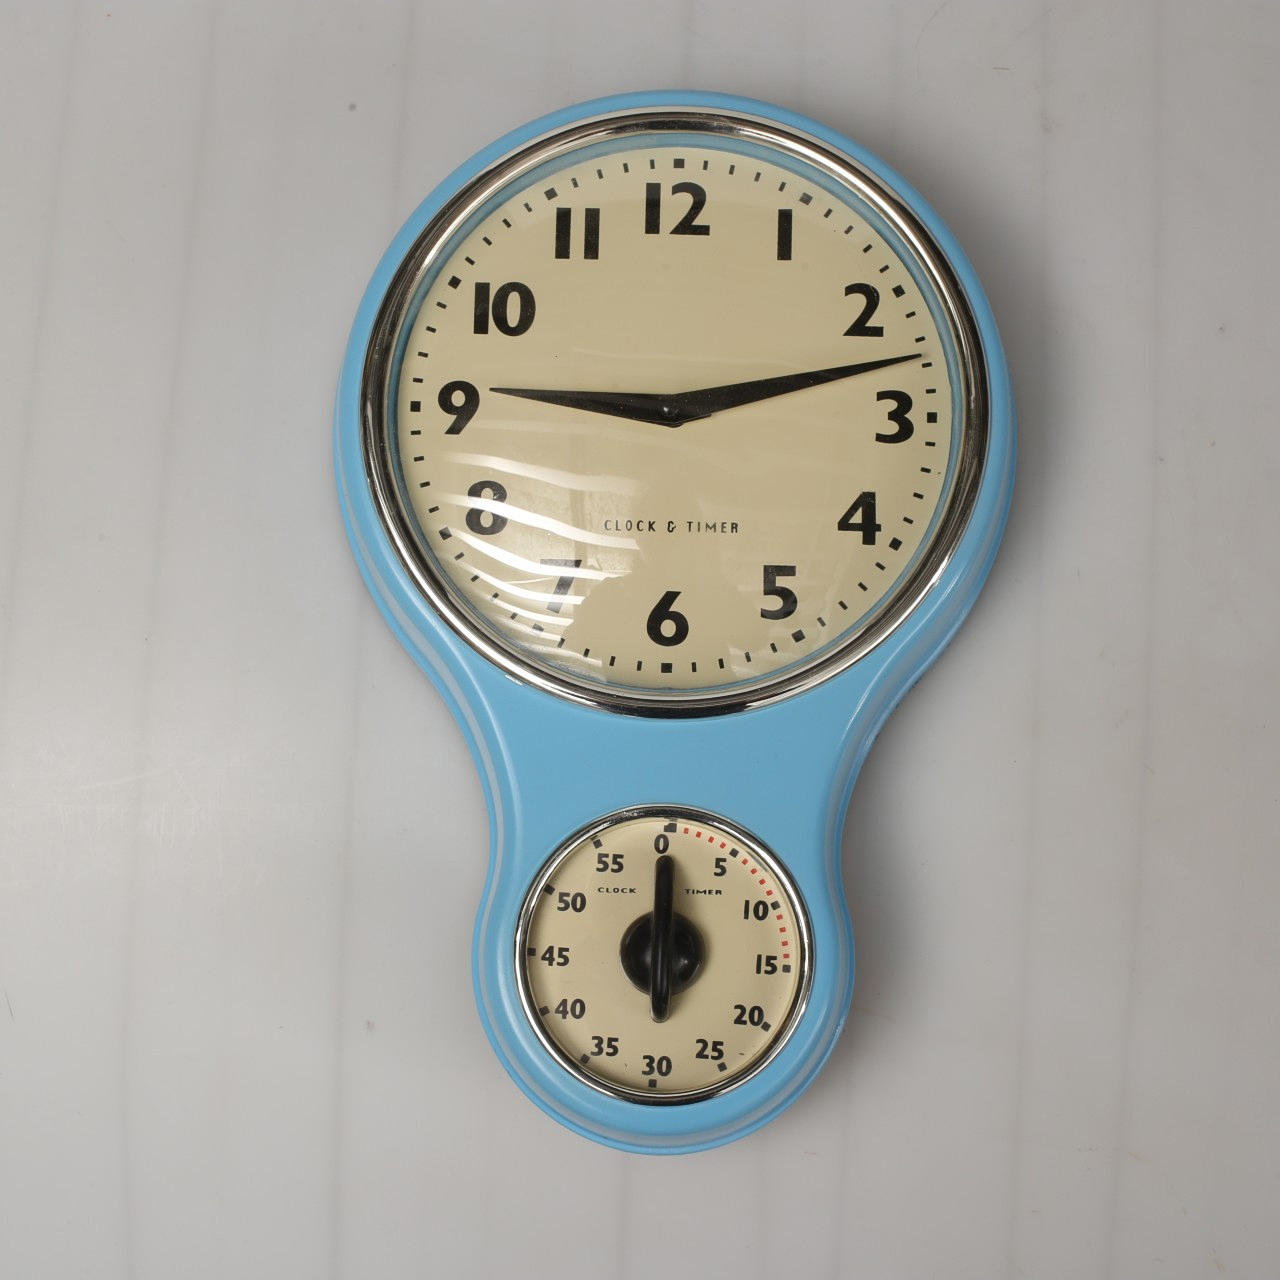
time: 9:12
